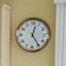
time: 12:24
